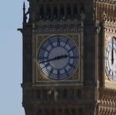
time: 2:42
